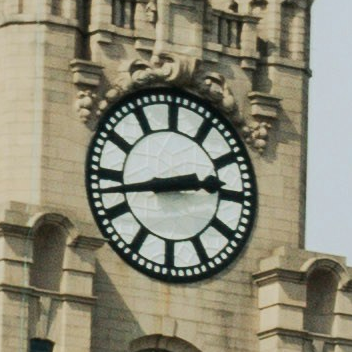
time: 2:42
